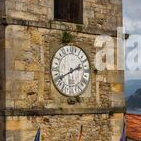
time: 1:40
